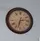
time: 2:33
